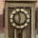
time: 11:32
